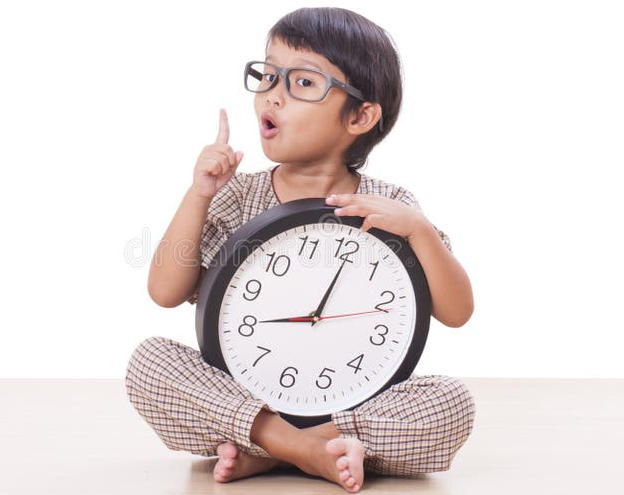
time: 8:00
